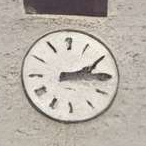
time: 2:14
